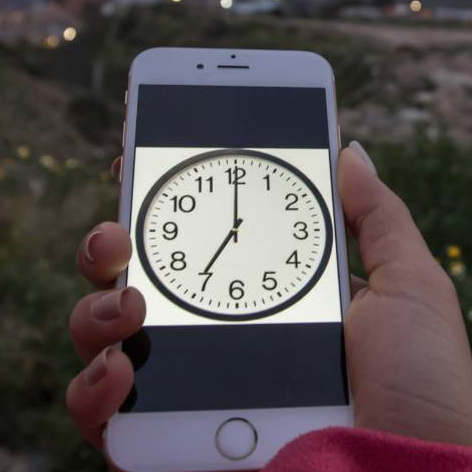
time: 7:00
